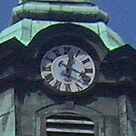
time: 12:19
